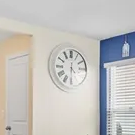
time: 4:30
